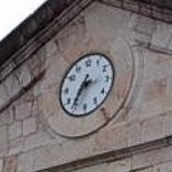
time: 2:35
